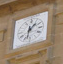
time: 1:32
